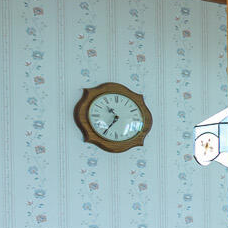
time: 10:35
